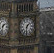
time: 1:32
